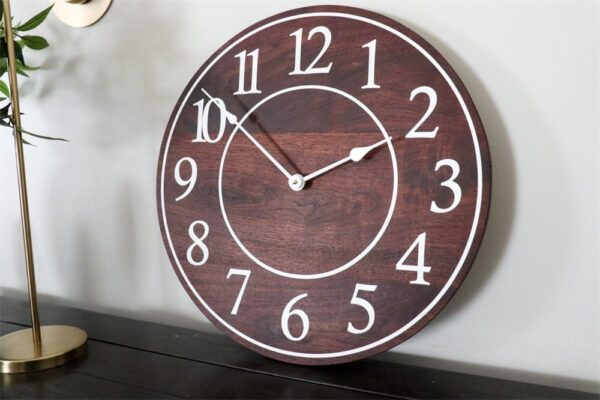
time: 1:51
